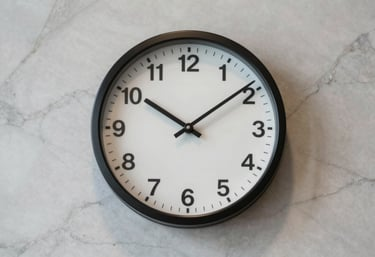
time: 10:09
